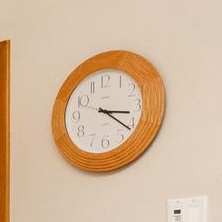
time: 3:21
